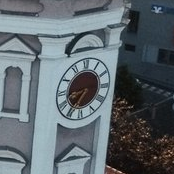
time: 8:35
